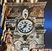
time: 12:37
